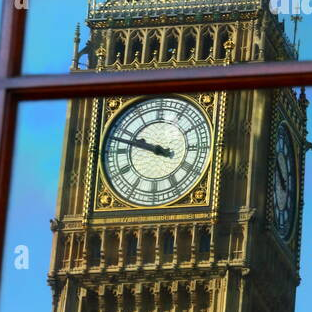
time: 9:47
